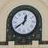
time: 12:39
